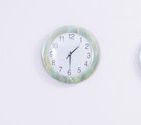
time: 1:29
